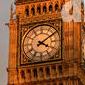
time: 4:09
